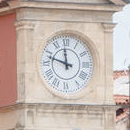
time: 11:47
